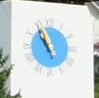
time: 10:56
